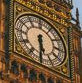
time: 5:30
